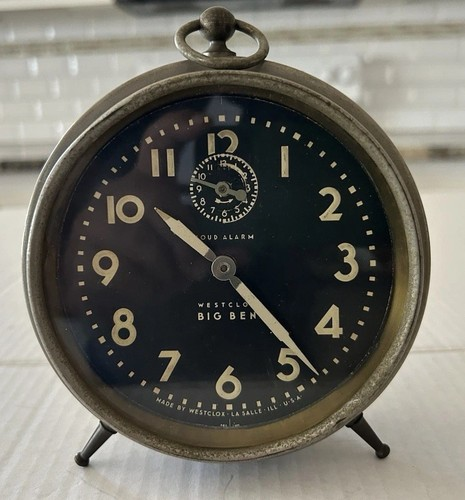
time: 10:23
